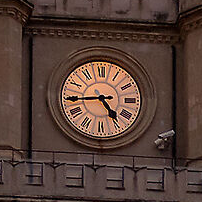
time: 4:44
